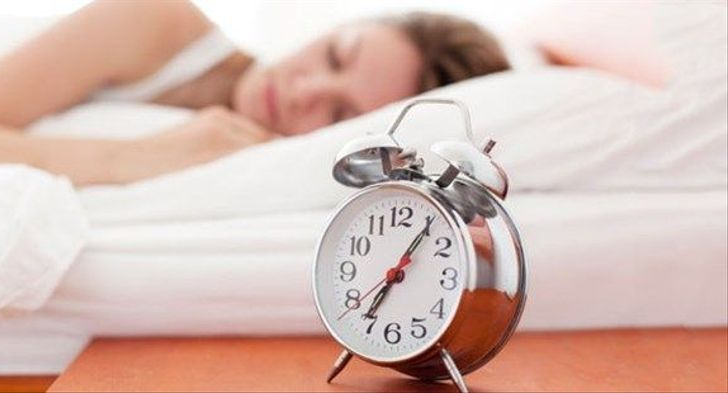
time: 7:06
